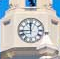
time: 11:44
